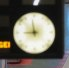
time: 8:57
